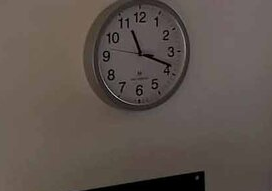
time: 11:18
